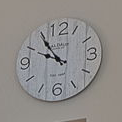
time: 9:54
